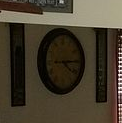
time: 4:14
